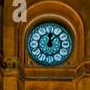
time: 12:07
